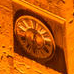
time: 12:32
